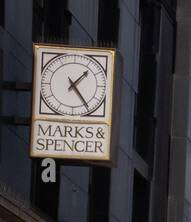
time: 1:23
